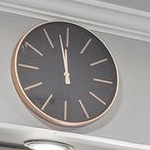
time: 11:58
